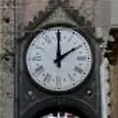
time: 2:00
